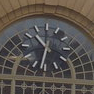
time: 10:32
